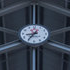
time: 8:36
